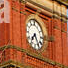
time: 7:24
